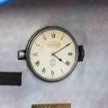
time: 4:09
